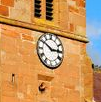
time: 2:50
